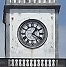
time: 1:20
